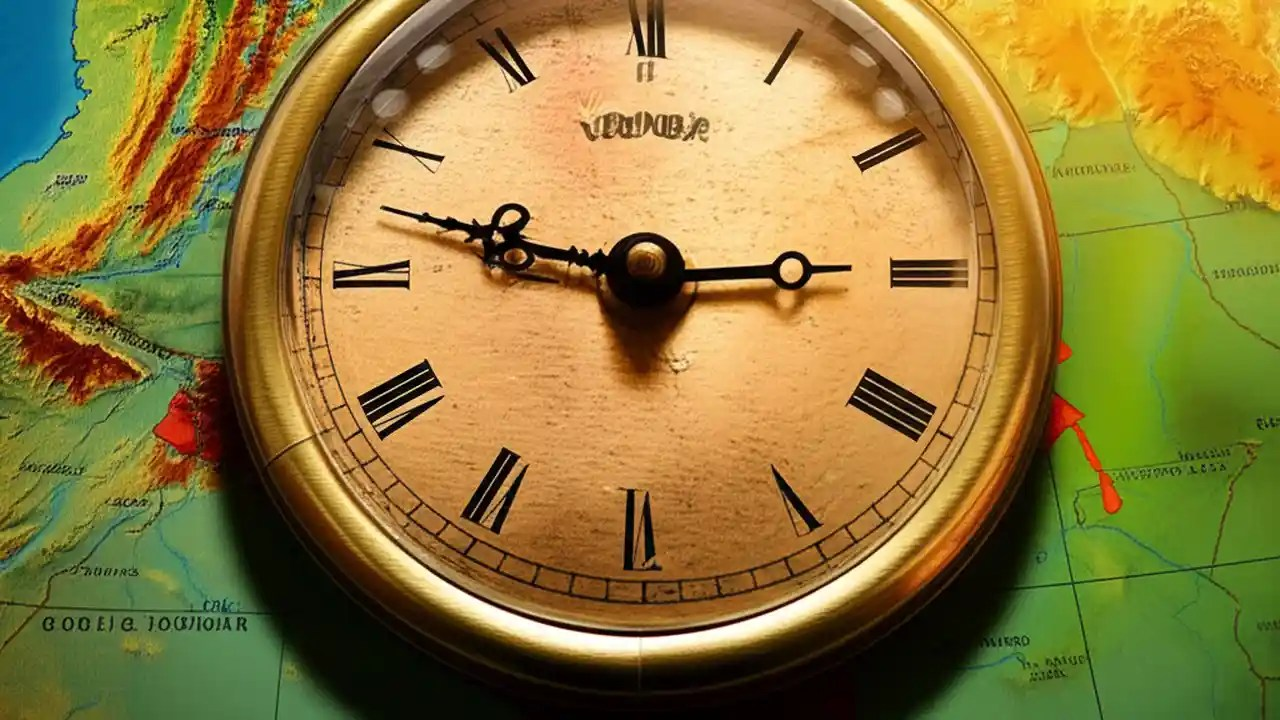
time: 2:47
